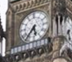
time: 5:36
